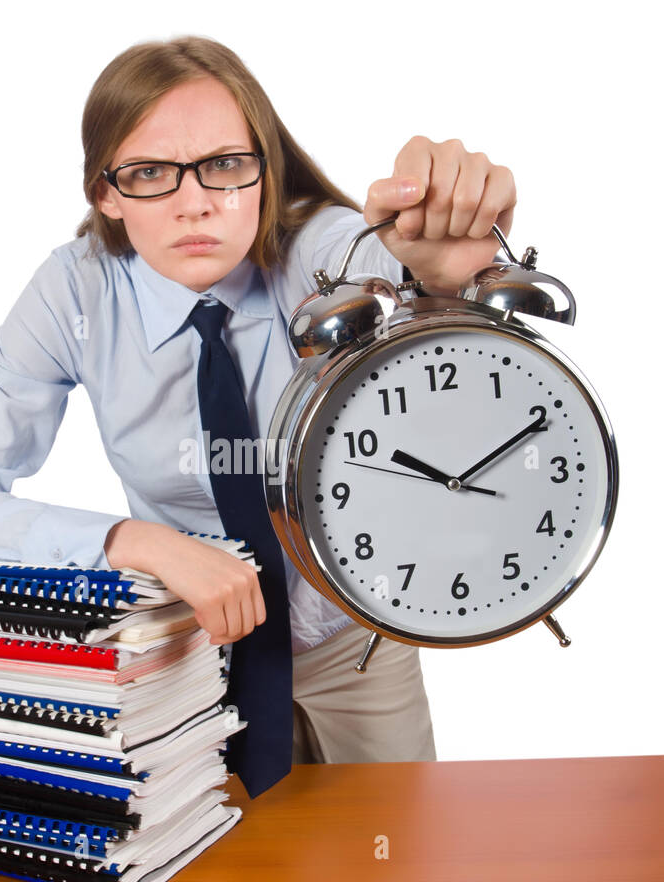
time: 10:10
